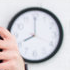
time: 8:00
